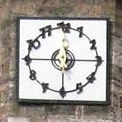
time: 11:45
